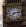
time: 7:13
